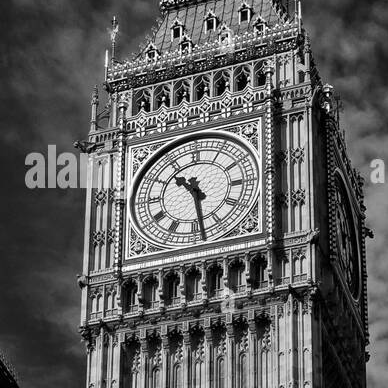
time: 10:28
